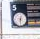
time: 12:30
